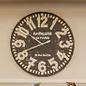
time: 9:41
